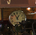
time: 12:55
